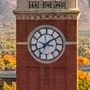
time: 8:09
